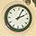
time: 2:04
